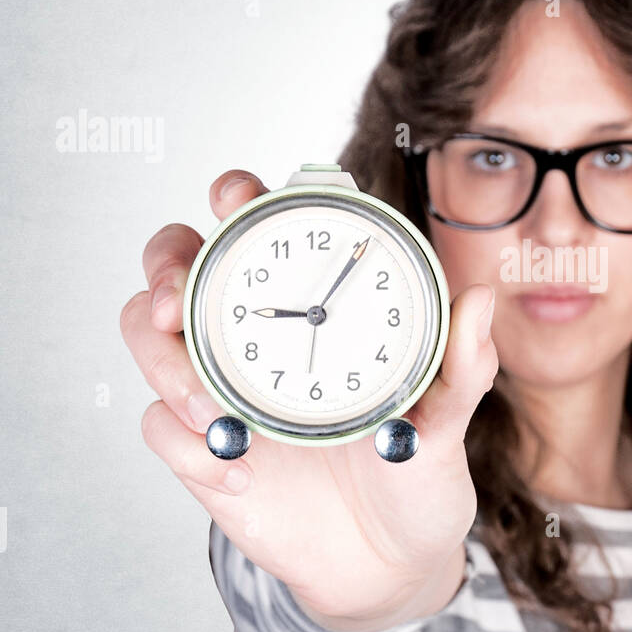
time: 9:05
